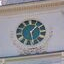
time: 1:28
